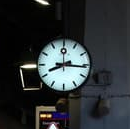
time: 8:16
